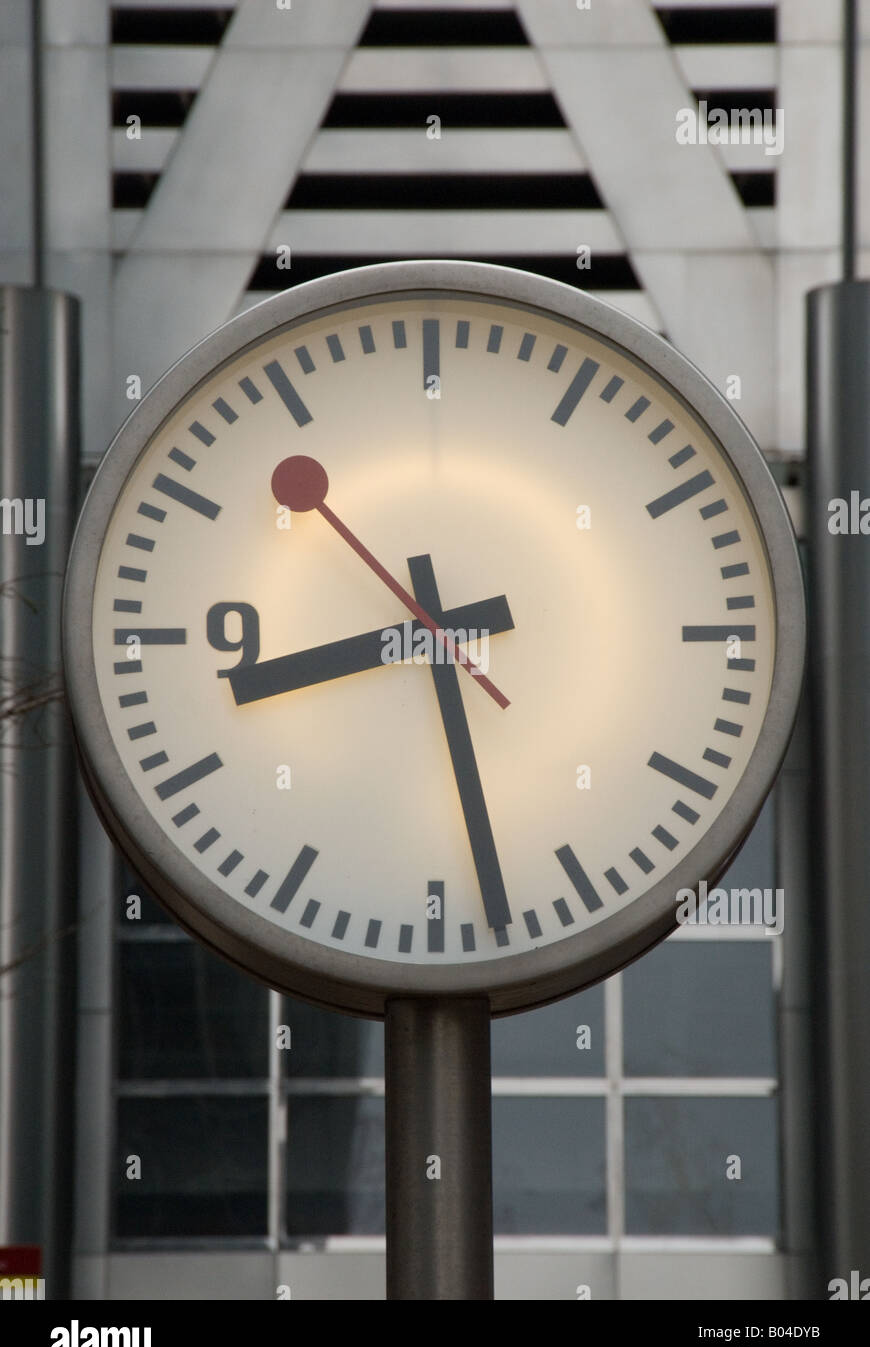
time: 8:28
